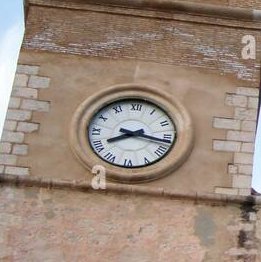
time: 8:16
